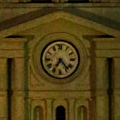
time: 7:23
